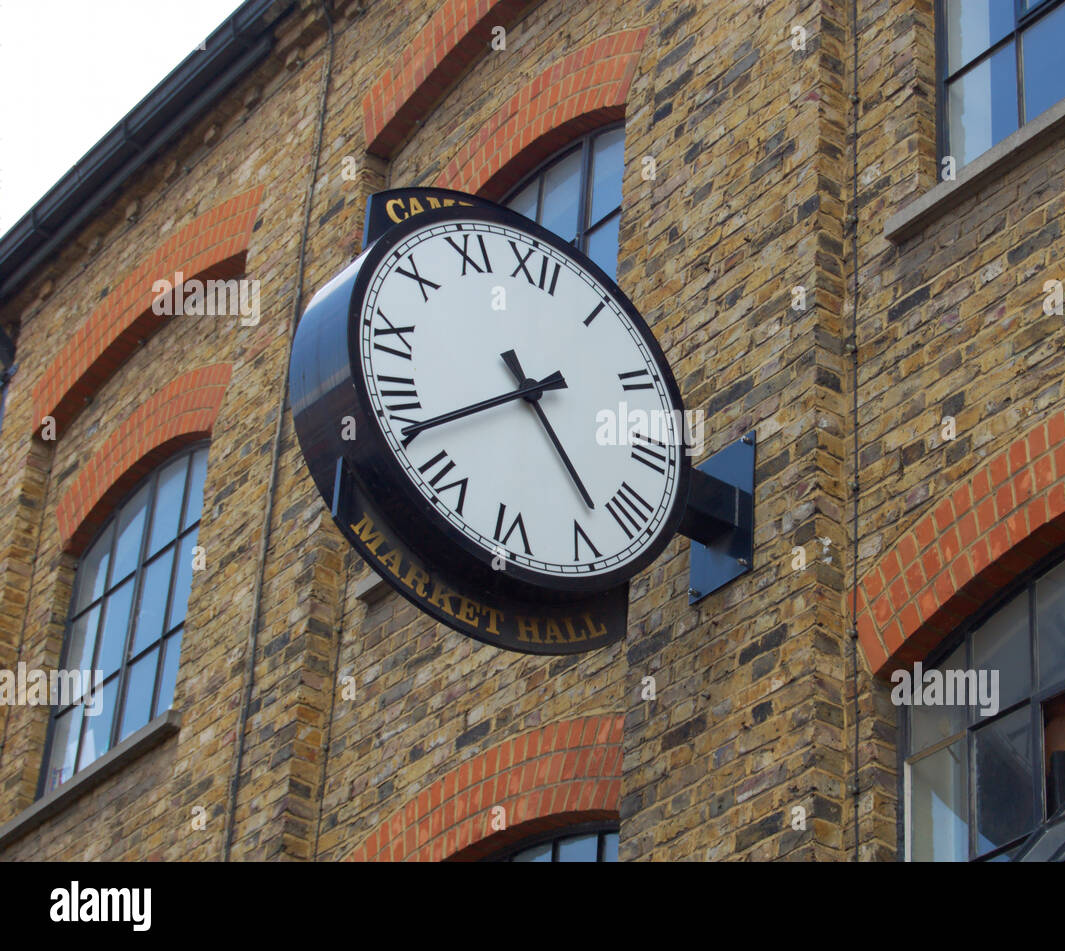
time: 4:38
